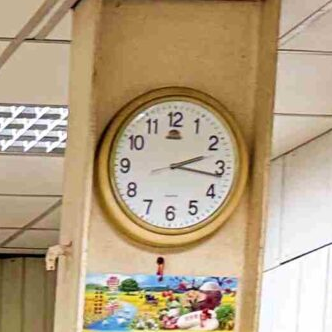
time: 2:16
